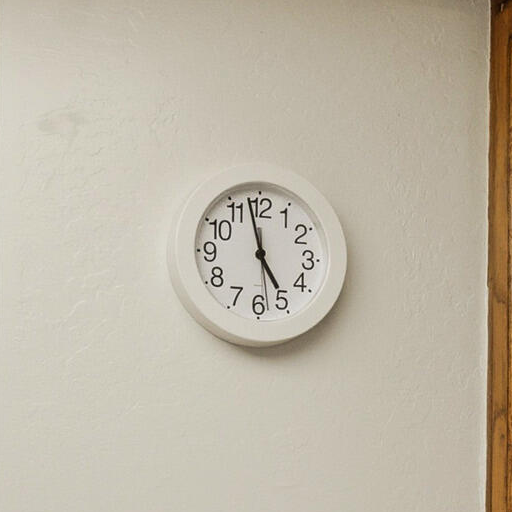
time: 4:57
